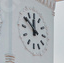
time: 11:50
